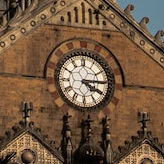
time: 4:14
